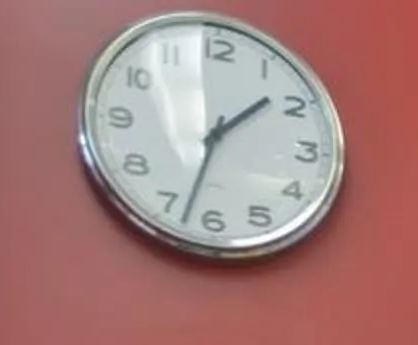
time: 1:32
